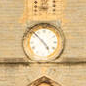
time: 4:52
